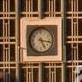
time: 5:16
